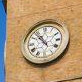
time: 10:52
